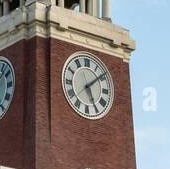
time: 5:08
